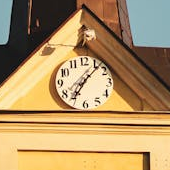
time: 7:07
